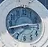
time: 2:42
